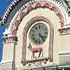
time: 4:22
